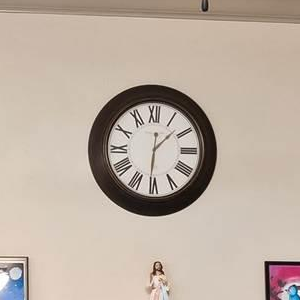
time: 1:31
